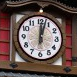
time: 12:02
